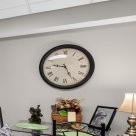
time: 9:26
